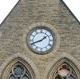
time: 1:41
